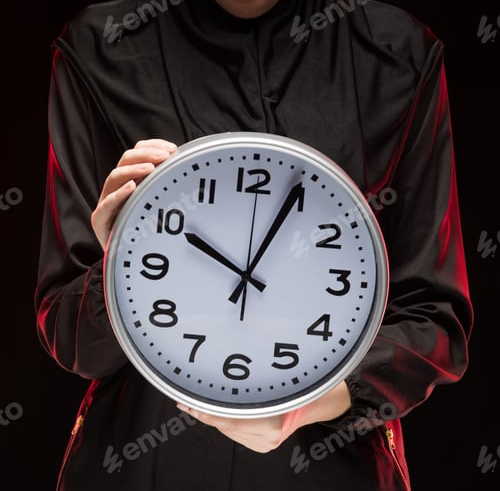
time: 10:04
